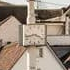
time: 3:43
